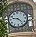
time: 9:22
